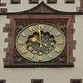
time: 11:59
